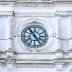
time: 4:54
